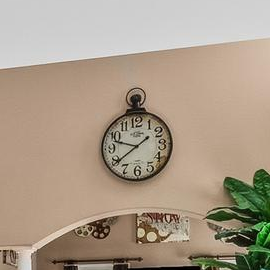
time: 9:39
